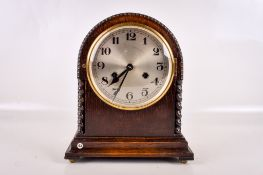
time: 7:34
